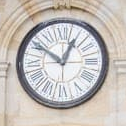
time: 12:51
